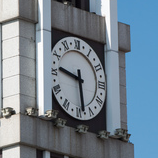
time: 5:46
